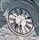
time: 6:08
